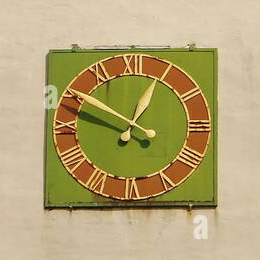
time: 12:49
